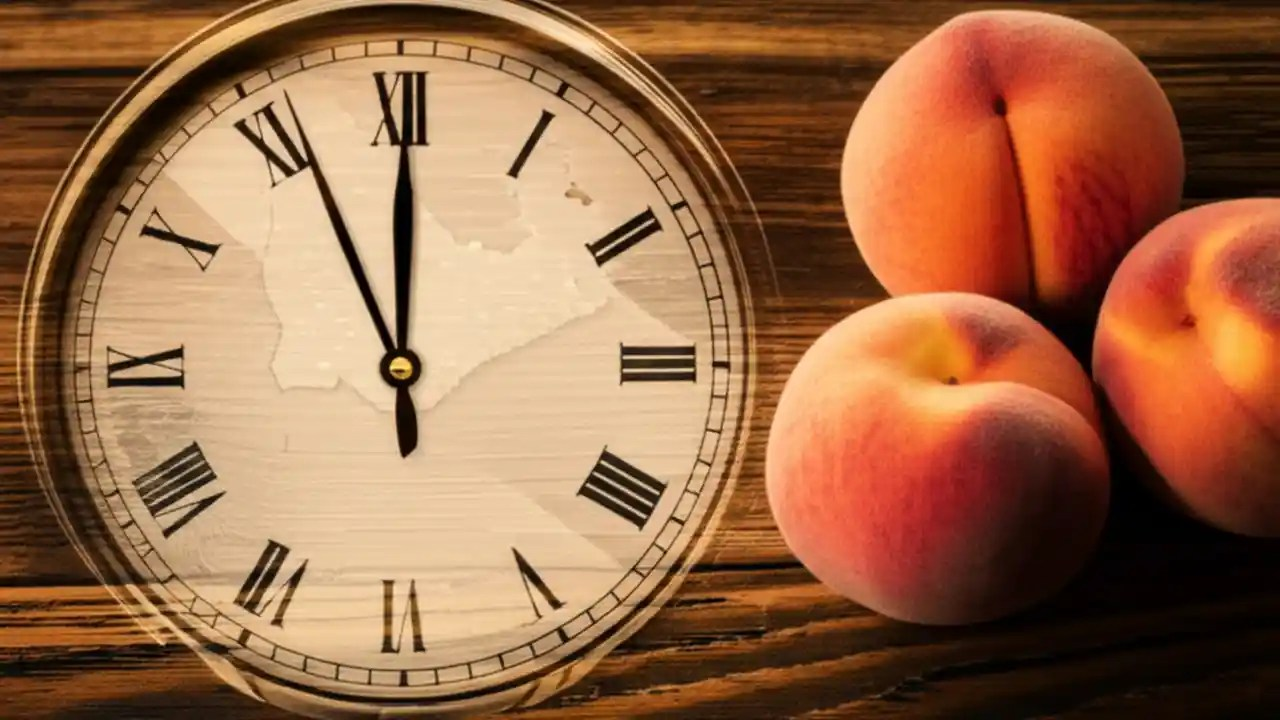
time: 11:55
